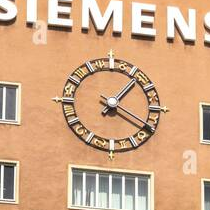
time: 1:20
